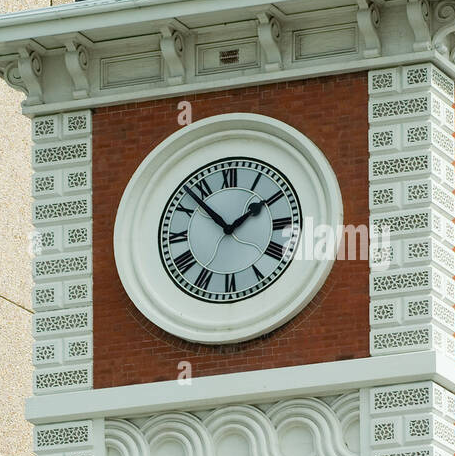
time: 1:52
